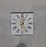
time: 12:26
